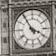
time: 3:54
